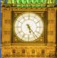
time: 5:23
